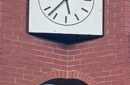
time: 5:37
